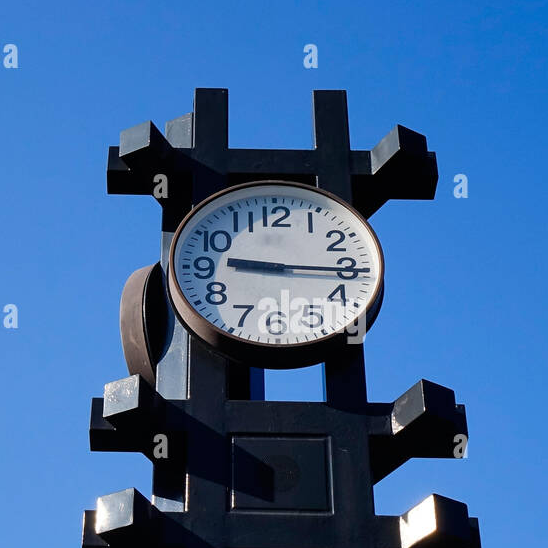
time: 9:15
